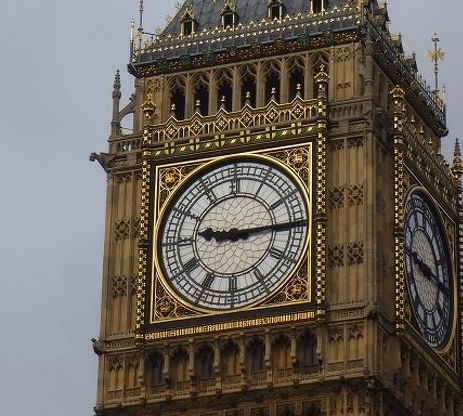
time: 9:14
